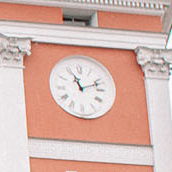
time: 11:11
